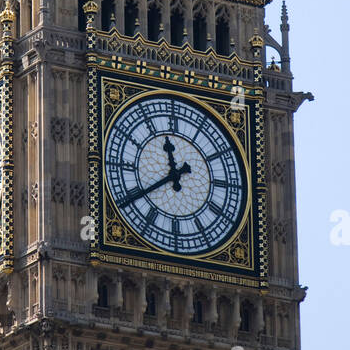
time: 11:39
